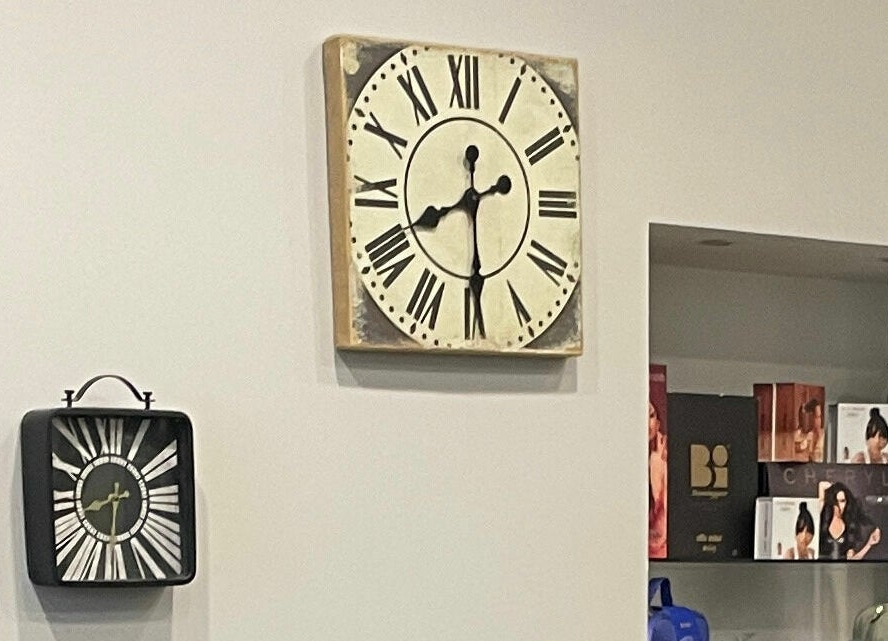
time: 8:29
